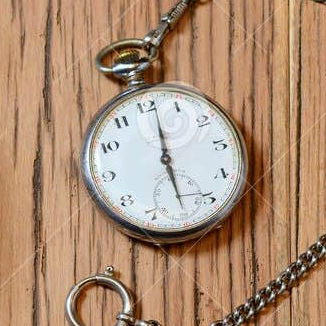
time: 6:01
